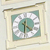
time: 4:31
